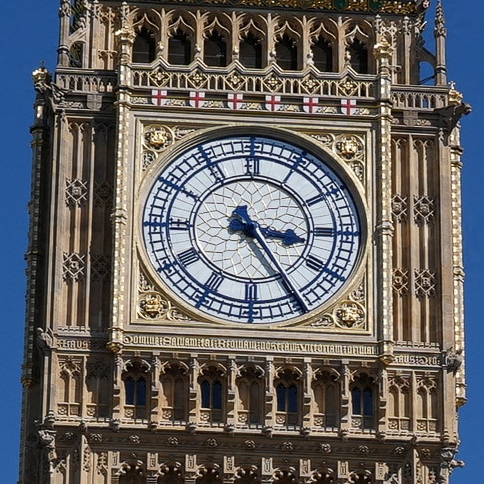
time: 3:24
